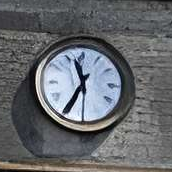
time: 11:34
